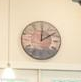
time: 2:00
